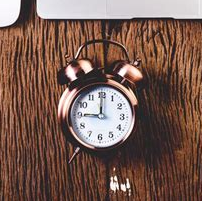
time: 9:00
